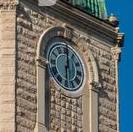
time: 6:00
